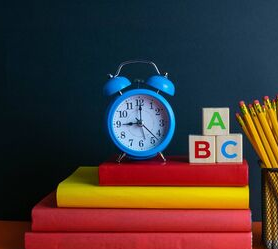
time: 9:00
